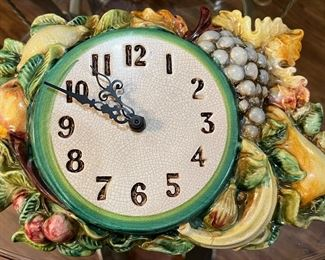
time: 10:49
